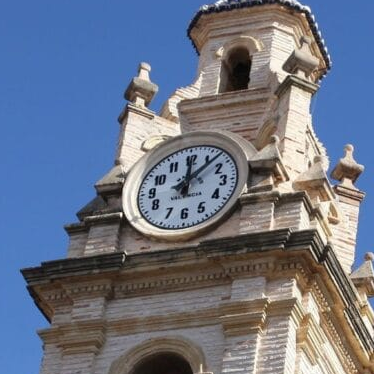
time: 12:07
